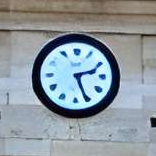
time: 2:26
